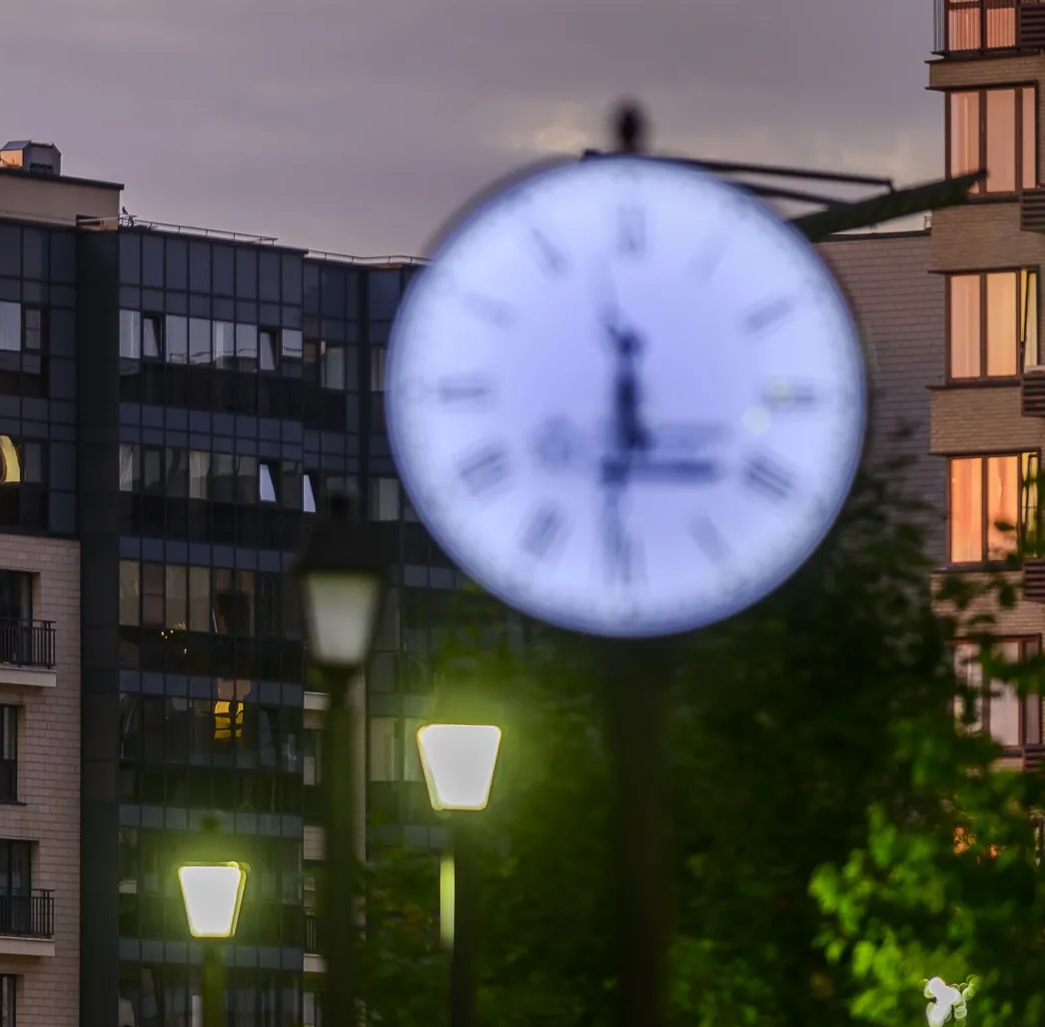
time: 5:30
